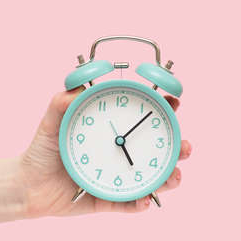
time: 5:07
